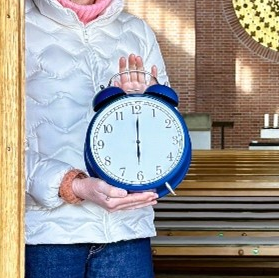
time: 6:00
